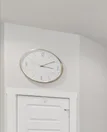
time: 3:09
